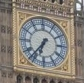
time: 6:36
